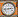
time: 2:43
